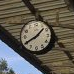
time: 1:40
